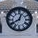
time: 12:40
